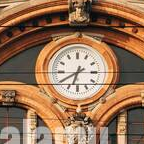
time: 6:39
